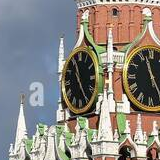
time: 11:24
